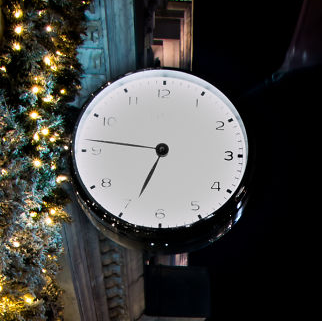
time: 6:46
